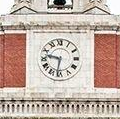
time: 9:31
